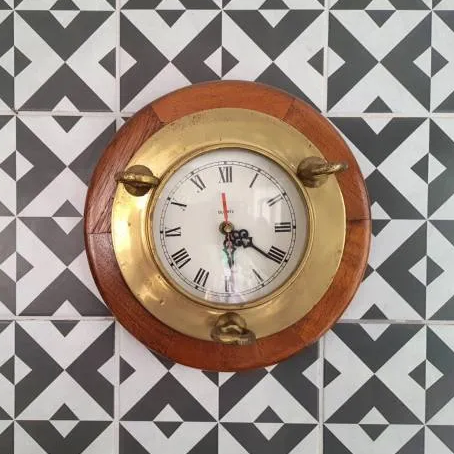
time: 5:20
